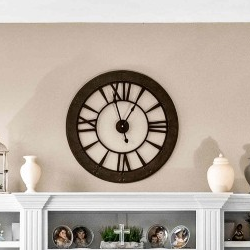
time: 12:57
